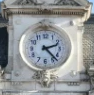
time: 2:22
